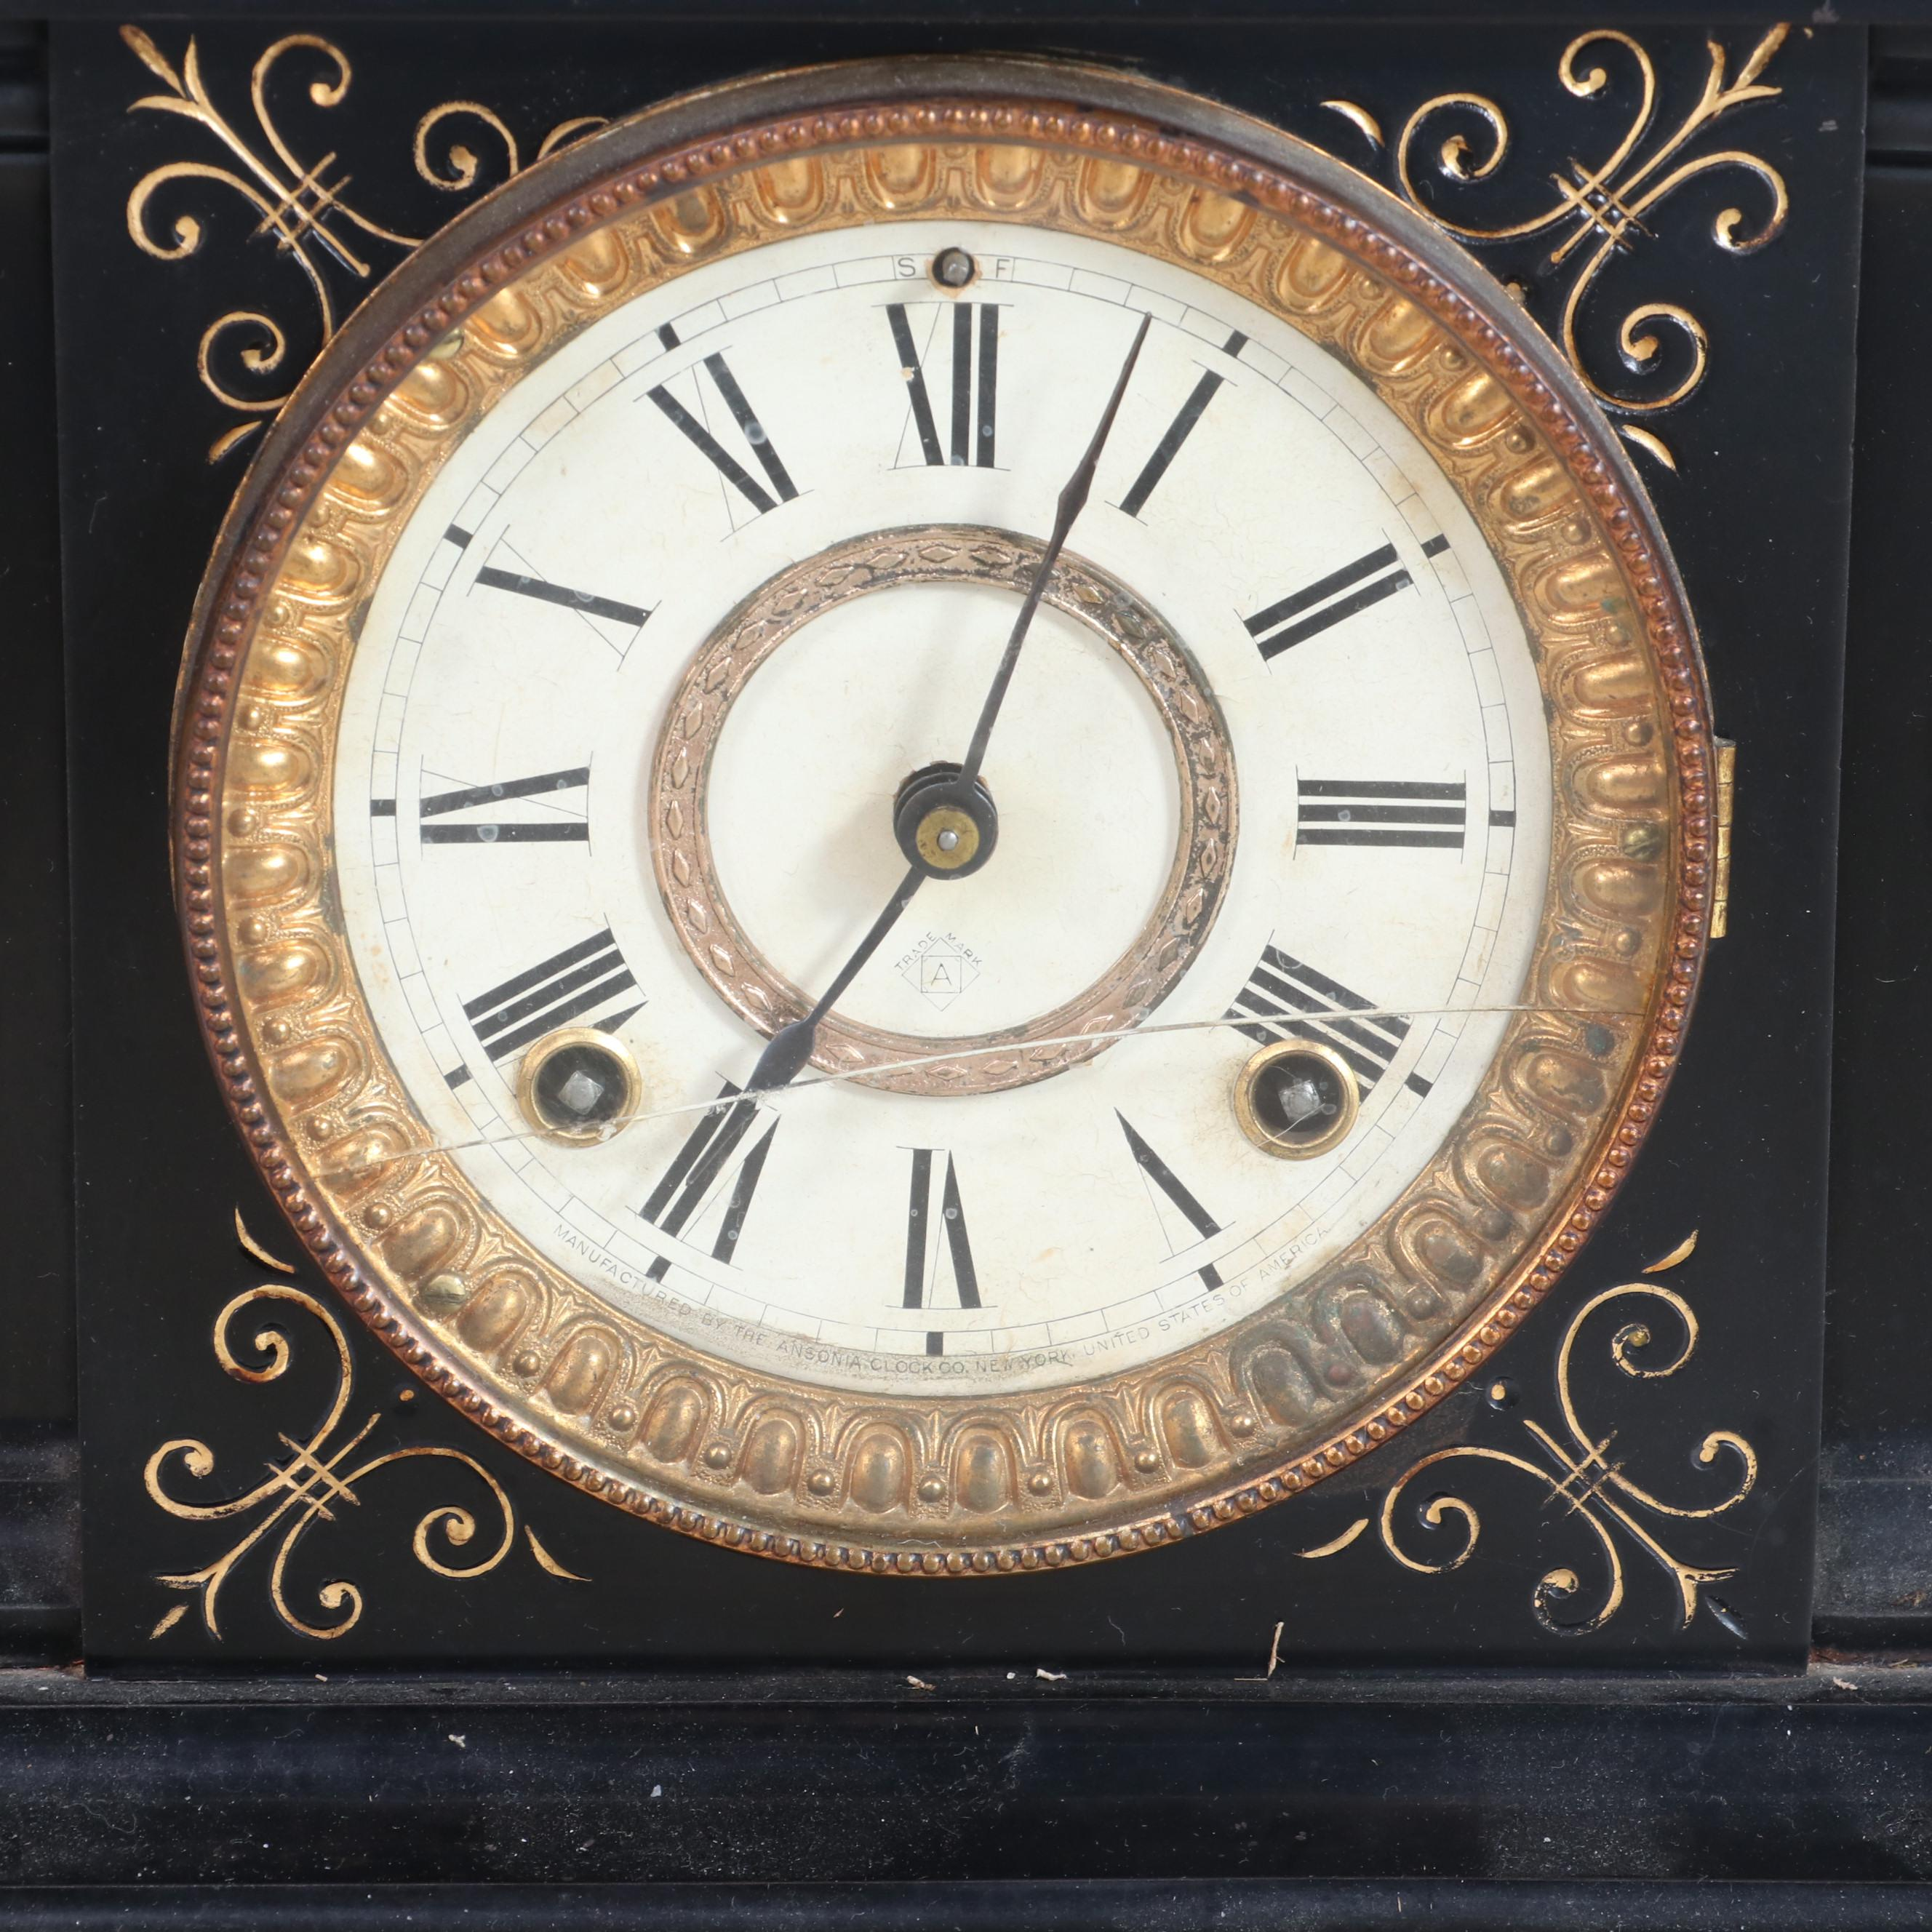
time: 7:03
